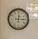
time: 12:14
